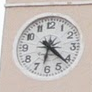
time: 6:21
